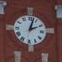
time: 2:02
